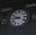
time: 8:49
